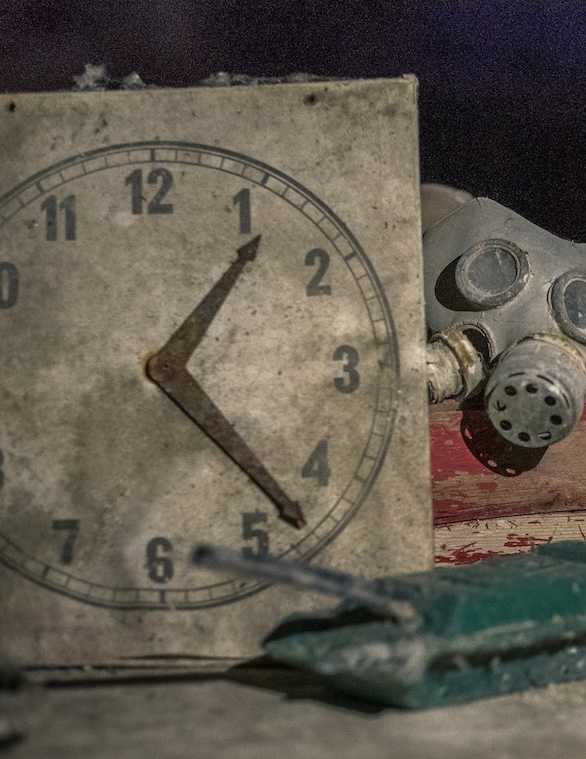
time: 1:23
